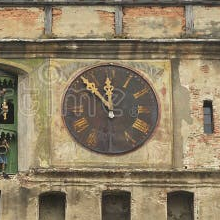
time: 11:53
